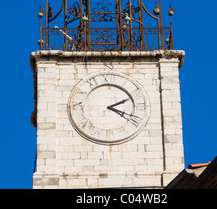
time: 2:18
